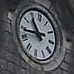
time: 10:43
